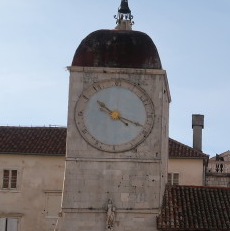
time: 10:18
